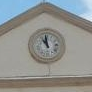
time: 10:59
